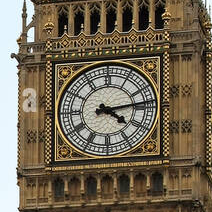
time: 4:13
